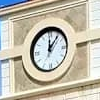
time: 12:06
